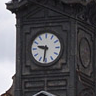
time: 9:31
